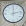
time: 12:12
